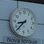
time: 8:37
